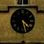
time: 4:27
